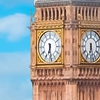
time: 6:28
